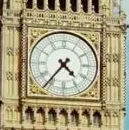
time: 4:36
